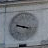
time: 9:17
